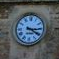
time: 3:20
